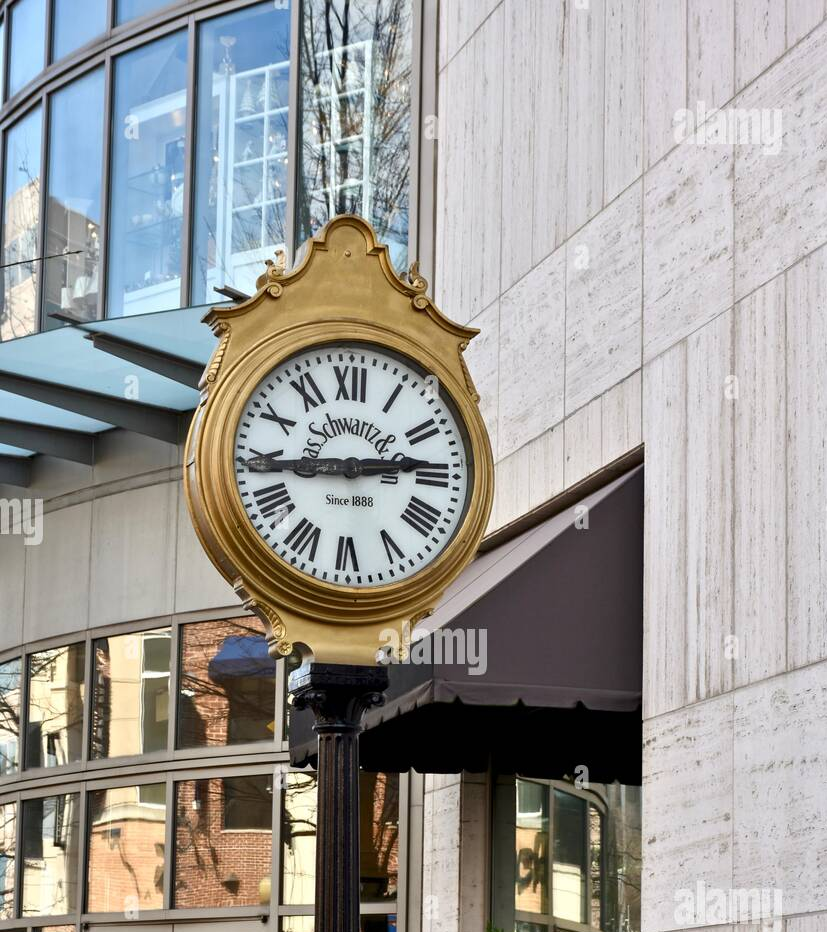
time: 2:44
